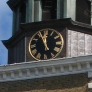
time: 11:56
